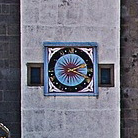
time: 2:18
